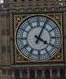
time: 4:04
